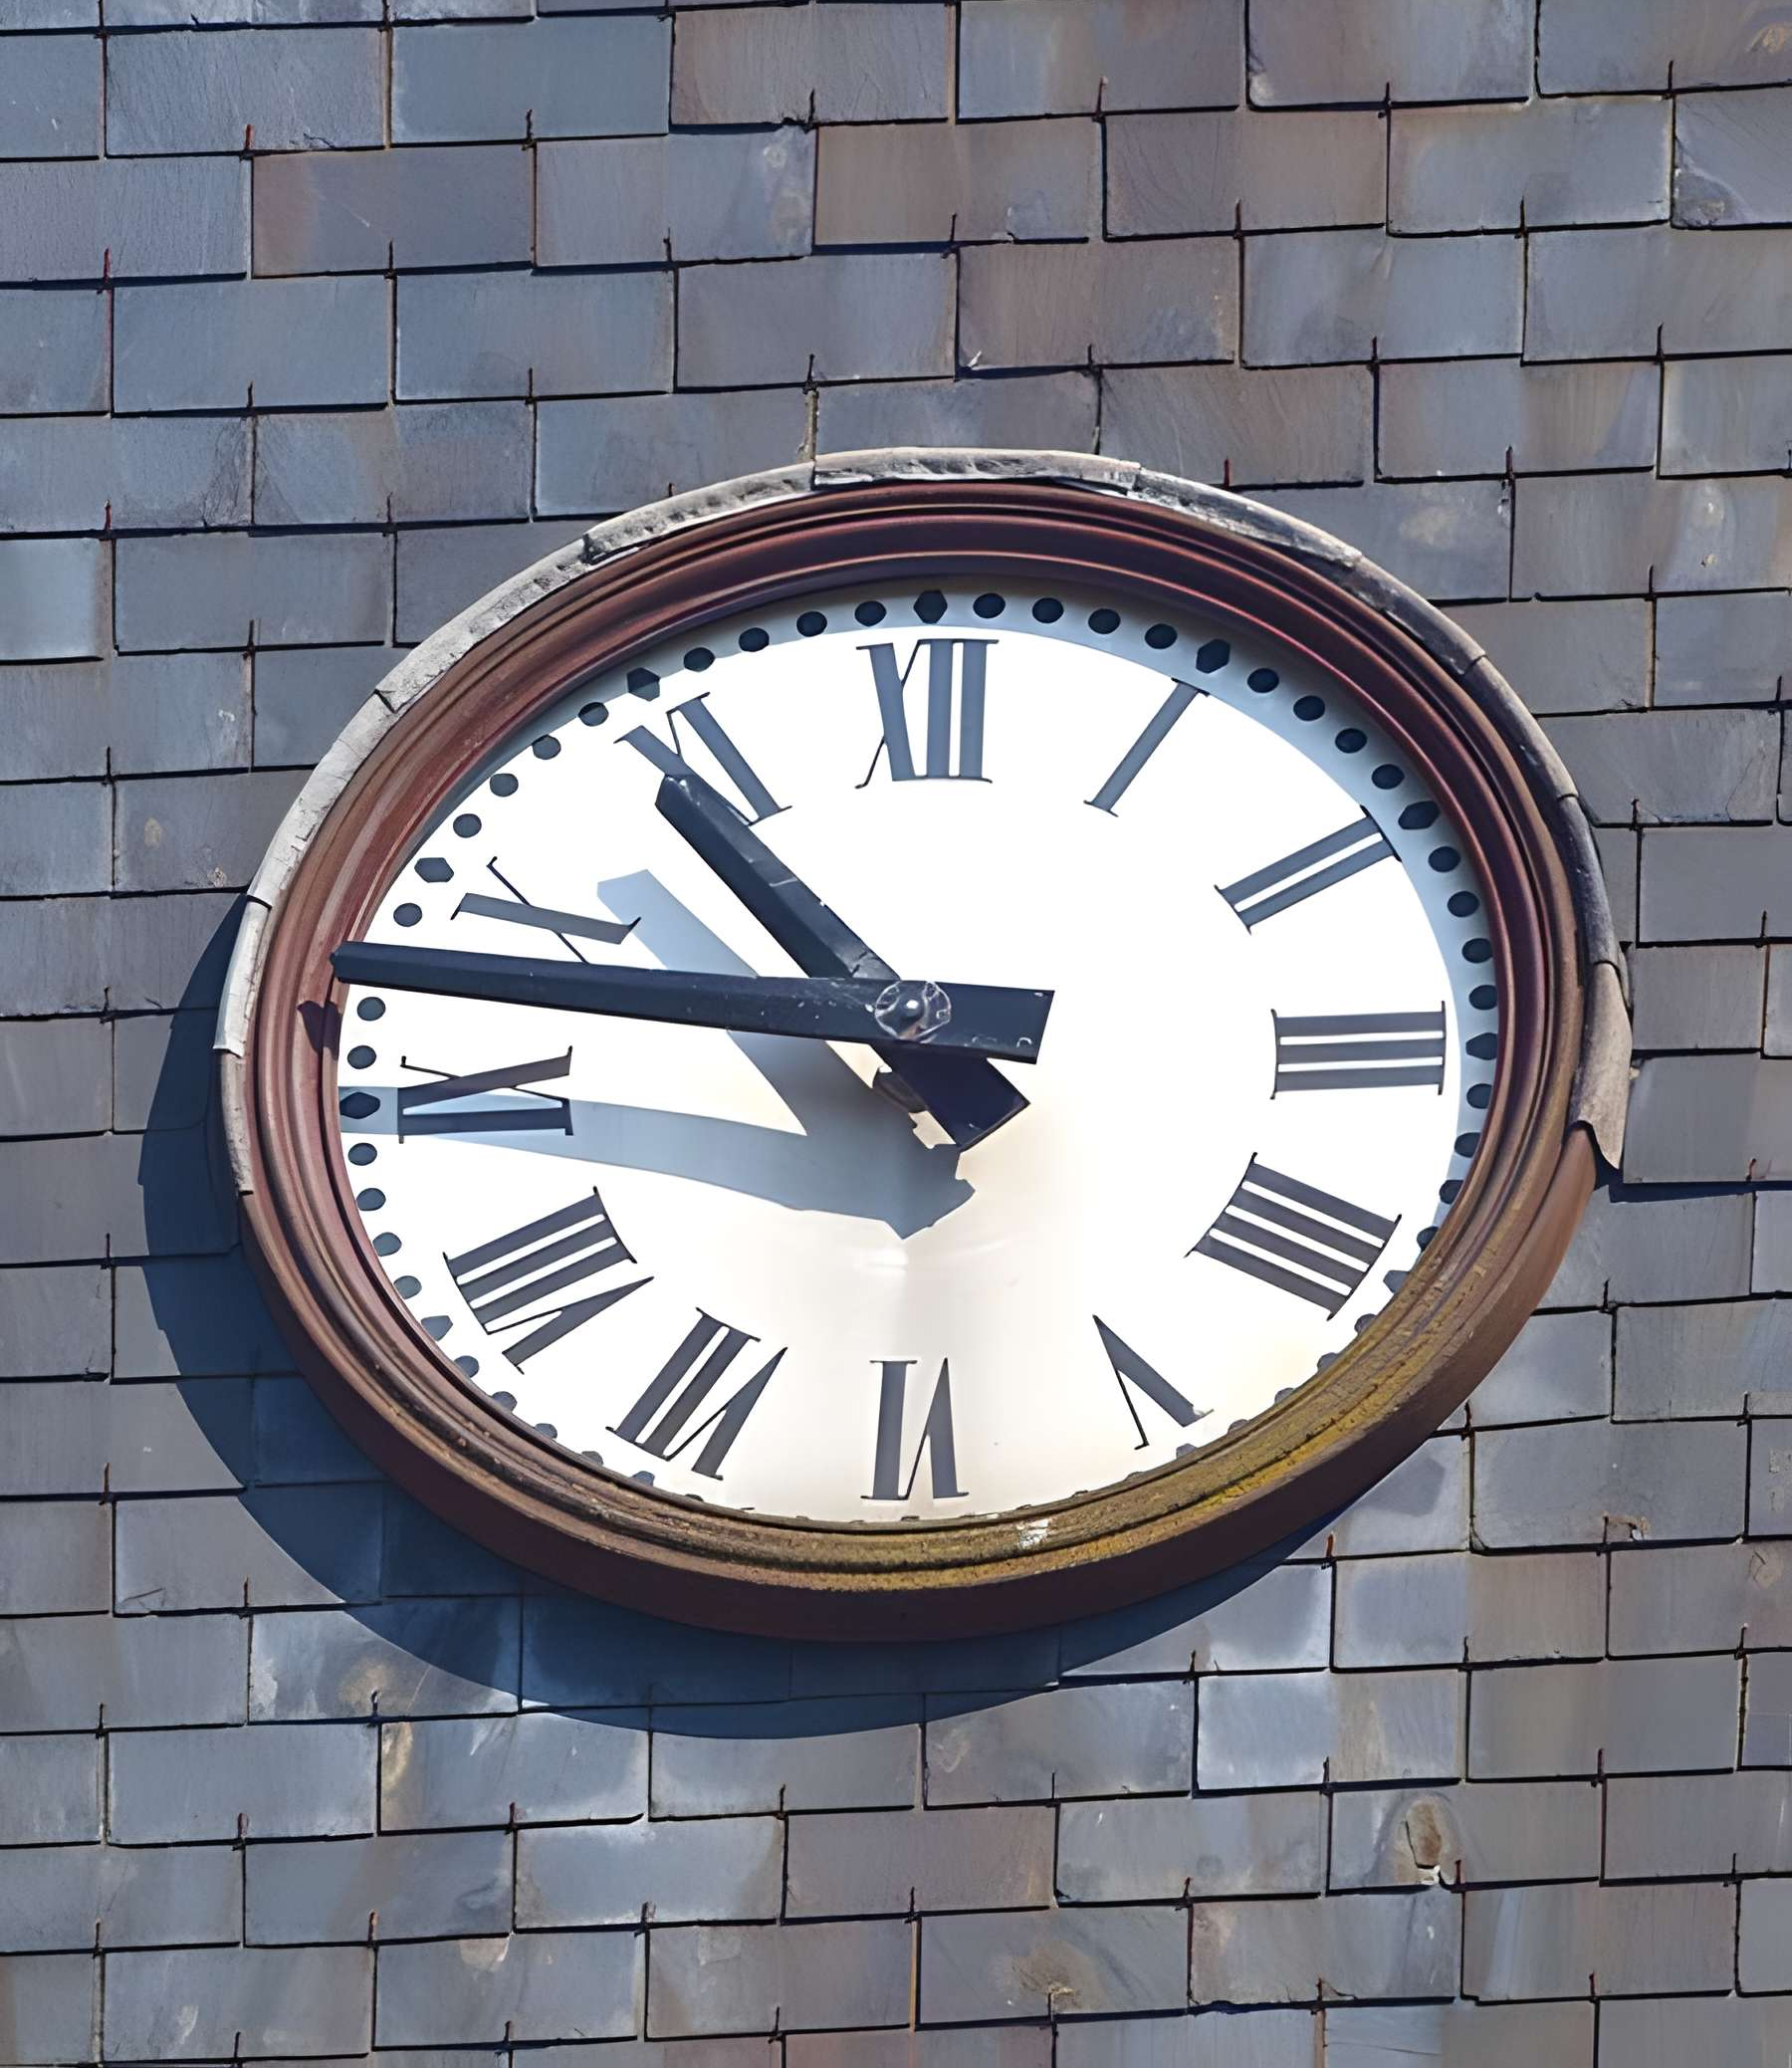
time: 10:47
